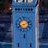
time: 8:11
